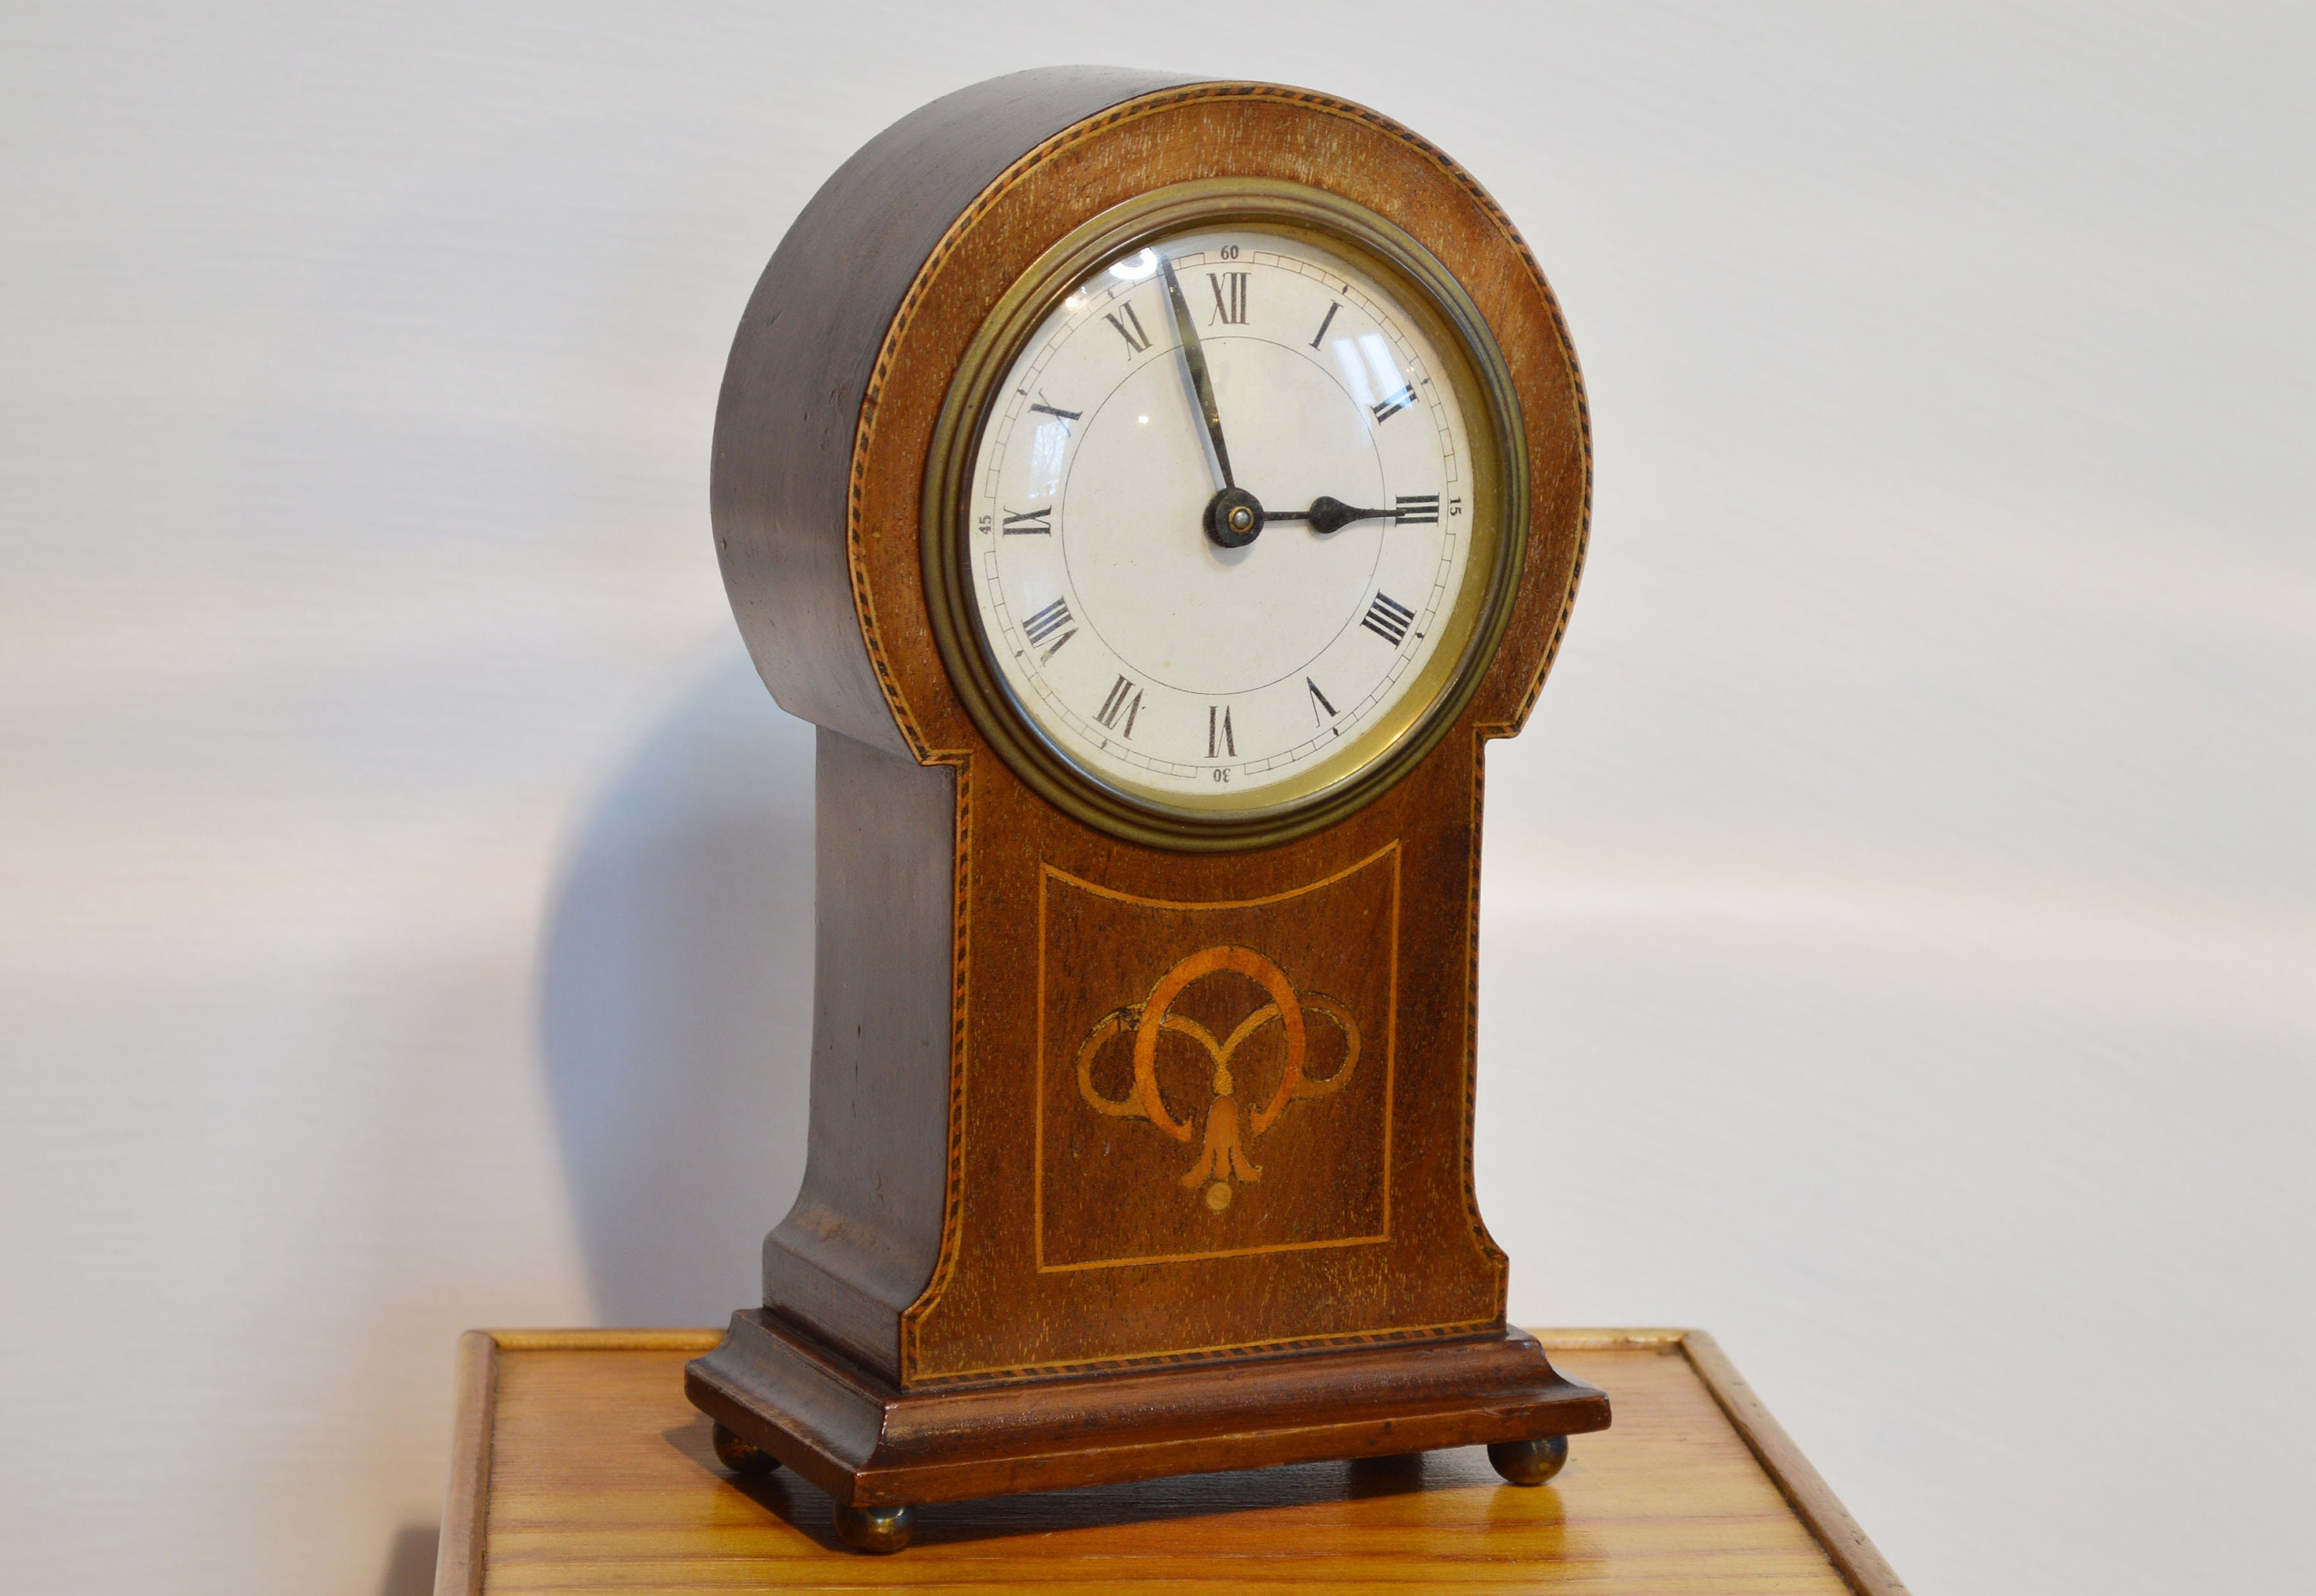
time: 2:57
